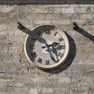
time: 2:25
